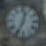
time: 12:34
